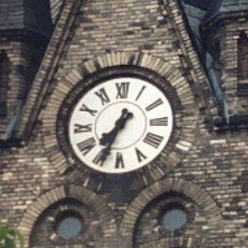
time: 7:33
